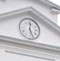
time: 12:26
